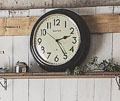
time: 2:24
